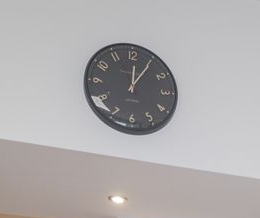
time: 12:05
